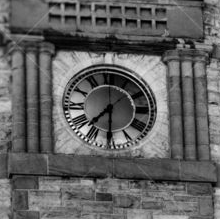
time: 7:30
